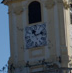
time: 11:12
